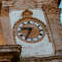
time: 8:35
